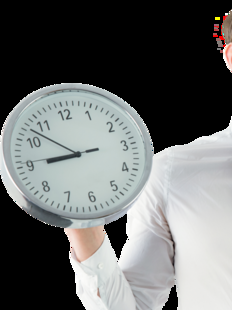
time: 8:52
